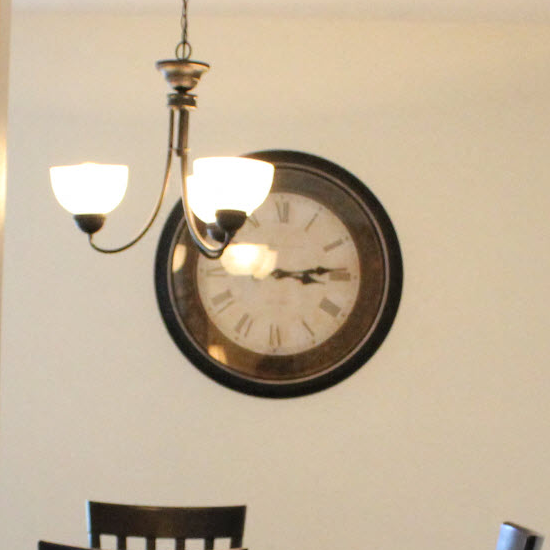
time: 3:13
